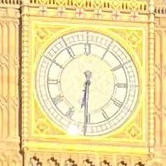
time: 6:30
